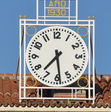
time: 7:28
